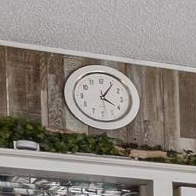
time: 4:05
